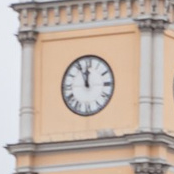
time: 11:55
